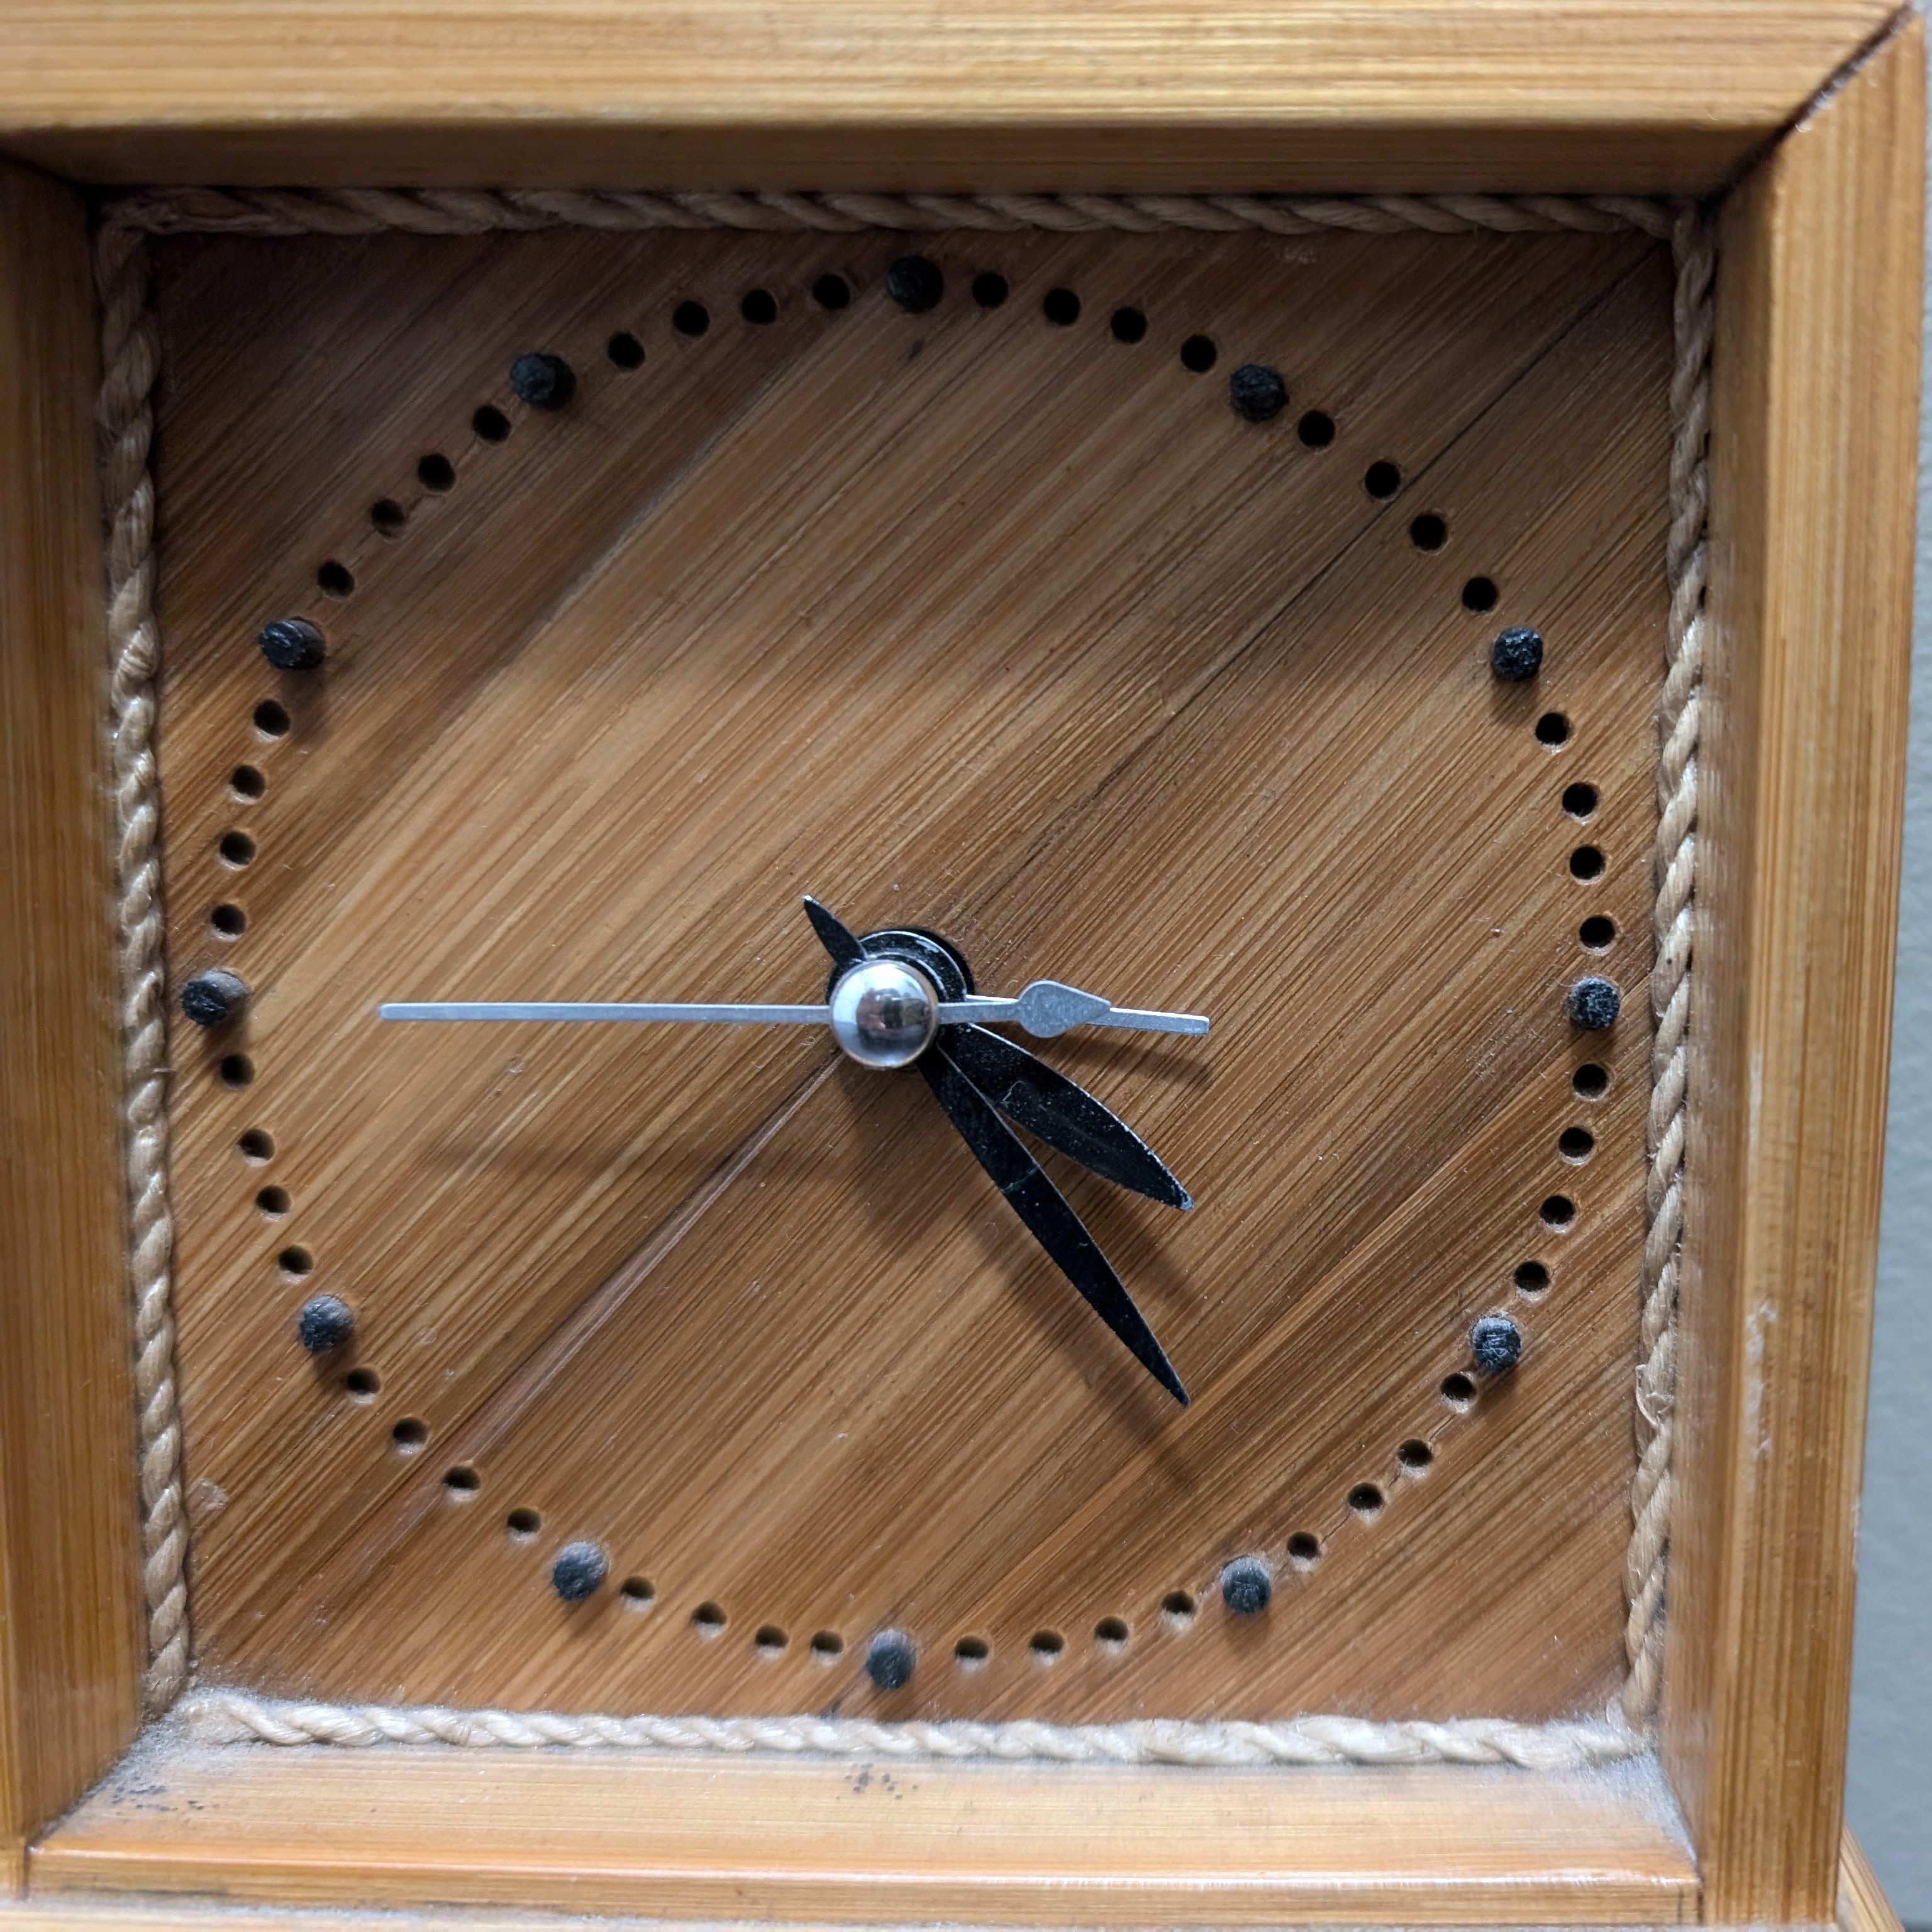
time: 4:23
